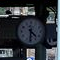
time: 4:31
